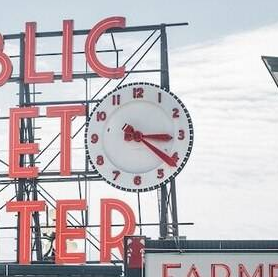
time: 3:21
